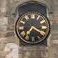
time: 7:19
